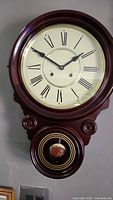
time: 1:50
